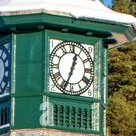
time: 12:33
